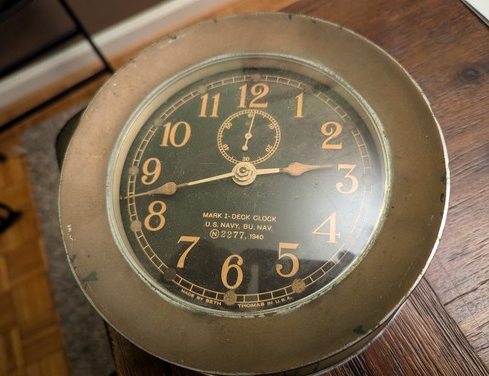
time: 2:42
